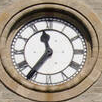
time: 11:36
